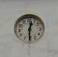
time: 12:30
